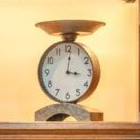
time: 3:01
